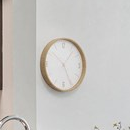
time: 5:06
